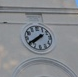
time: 7:40
